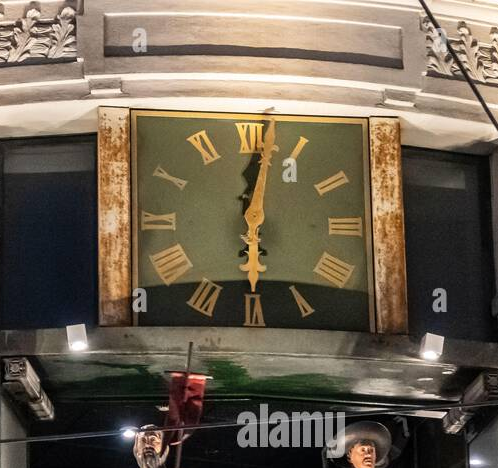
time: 6:01
